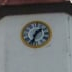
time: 1:33
